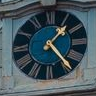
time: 1:23
